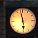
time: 5:58
